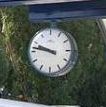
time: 9:47
